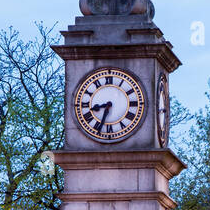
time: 8:33
